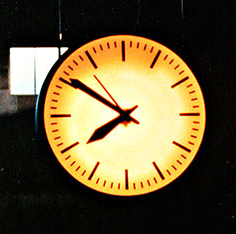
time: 7:50
